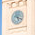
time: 5:18
